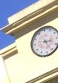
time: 3:26
